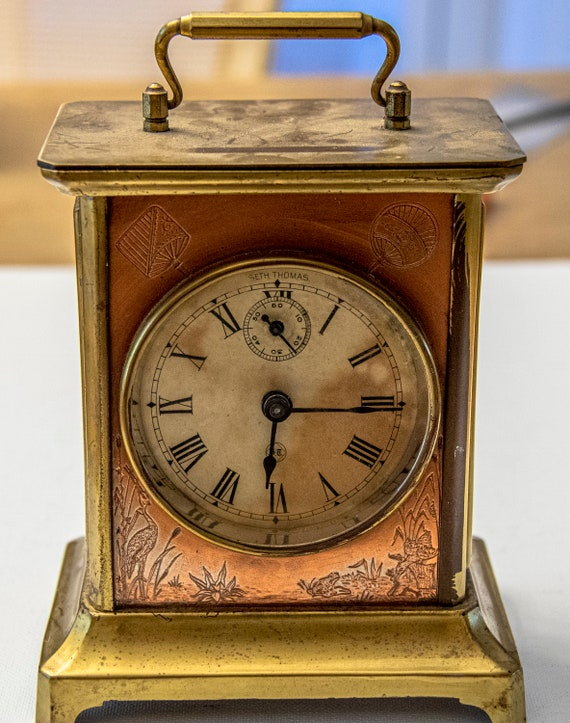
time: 6:15
